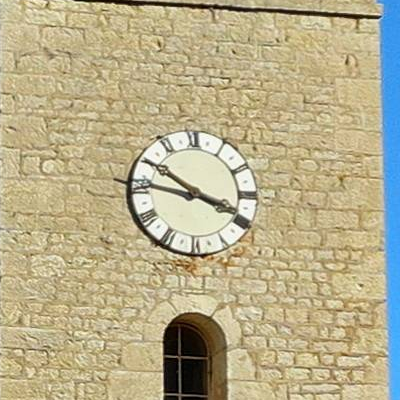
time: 3:50
